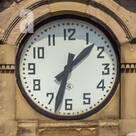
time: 1:32
